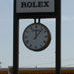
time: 12:06
